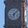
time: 6:07
